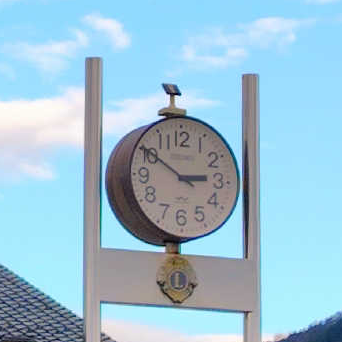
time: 2:50
